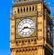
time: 8:17
